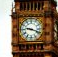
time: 9:18
